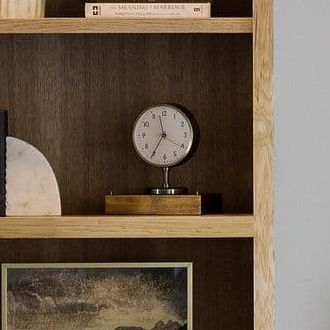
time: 11:35
